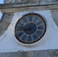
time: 8:47
